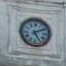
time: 5:09
